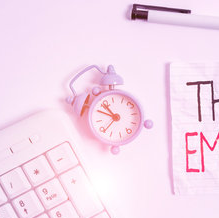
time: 10:50
